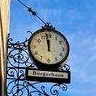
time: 11:58
